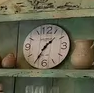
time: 1:35
